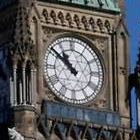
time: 10:51
